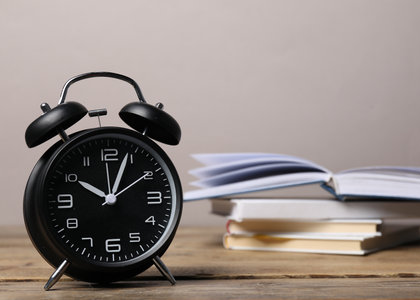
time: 10:04
